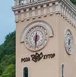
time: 6:29
